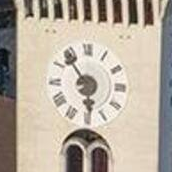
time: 5:53
